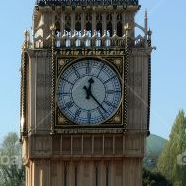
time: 12:23
